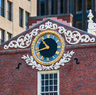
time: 10:42
